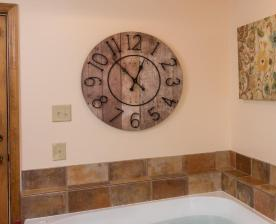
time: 12:53
